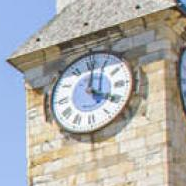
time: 4:01
